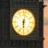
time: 6:02
